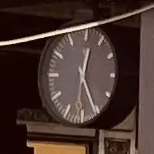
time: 12:25
